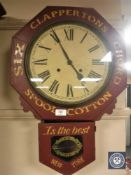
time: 4:55
